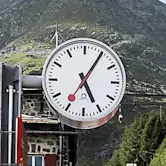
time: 5:05
